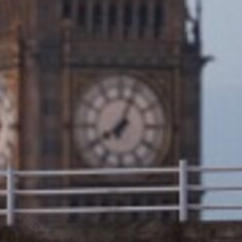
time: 8:03
